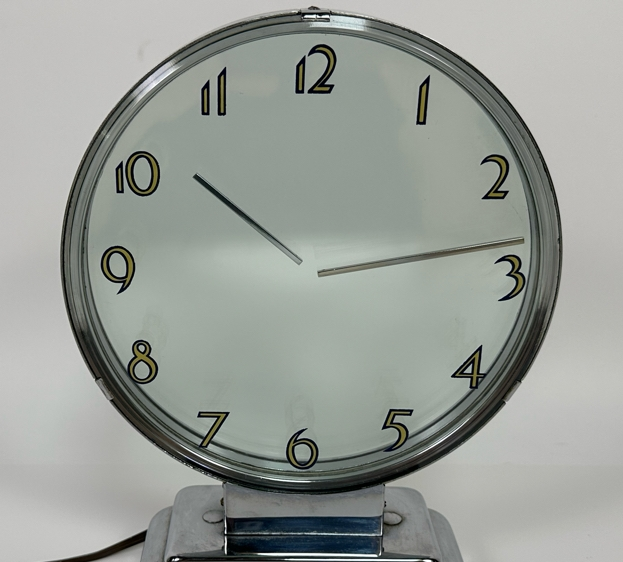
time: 10:13
